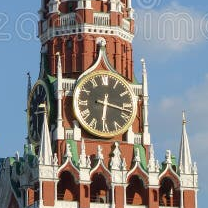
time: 6:17
